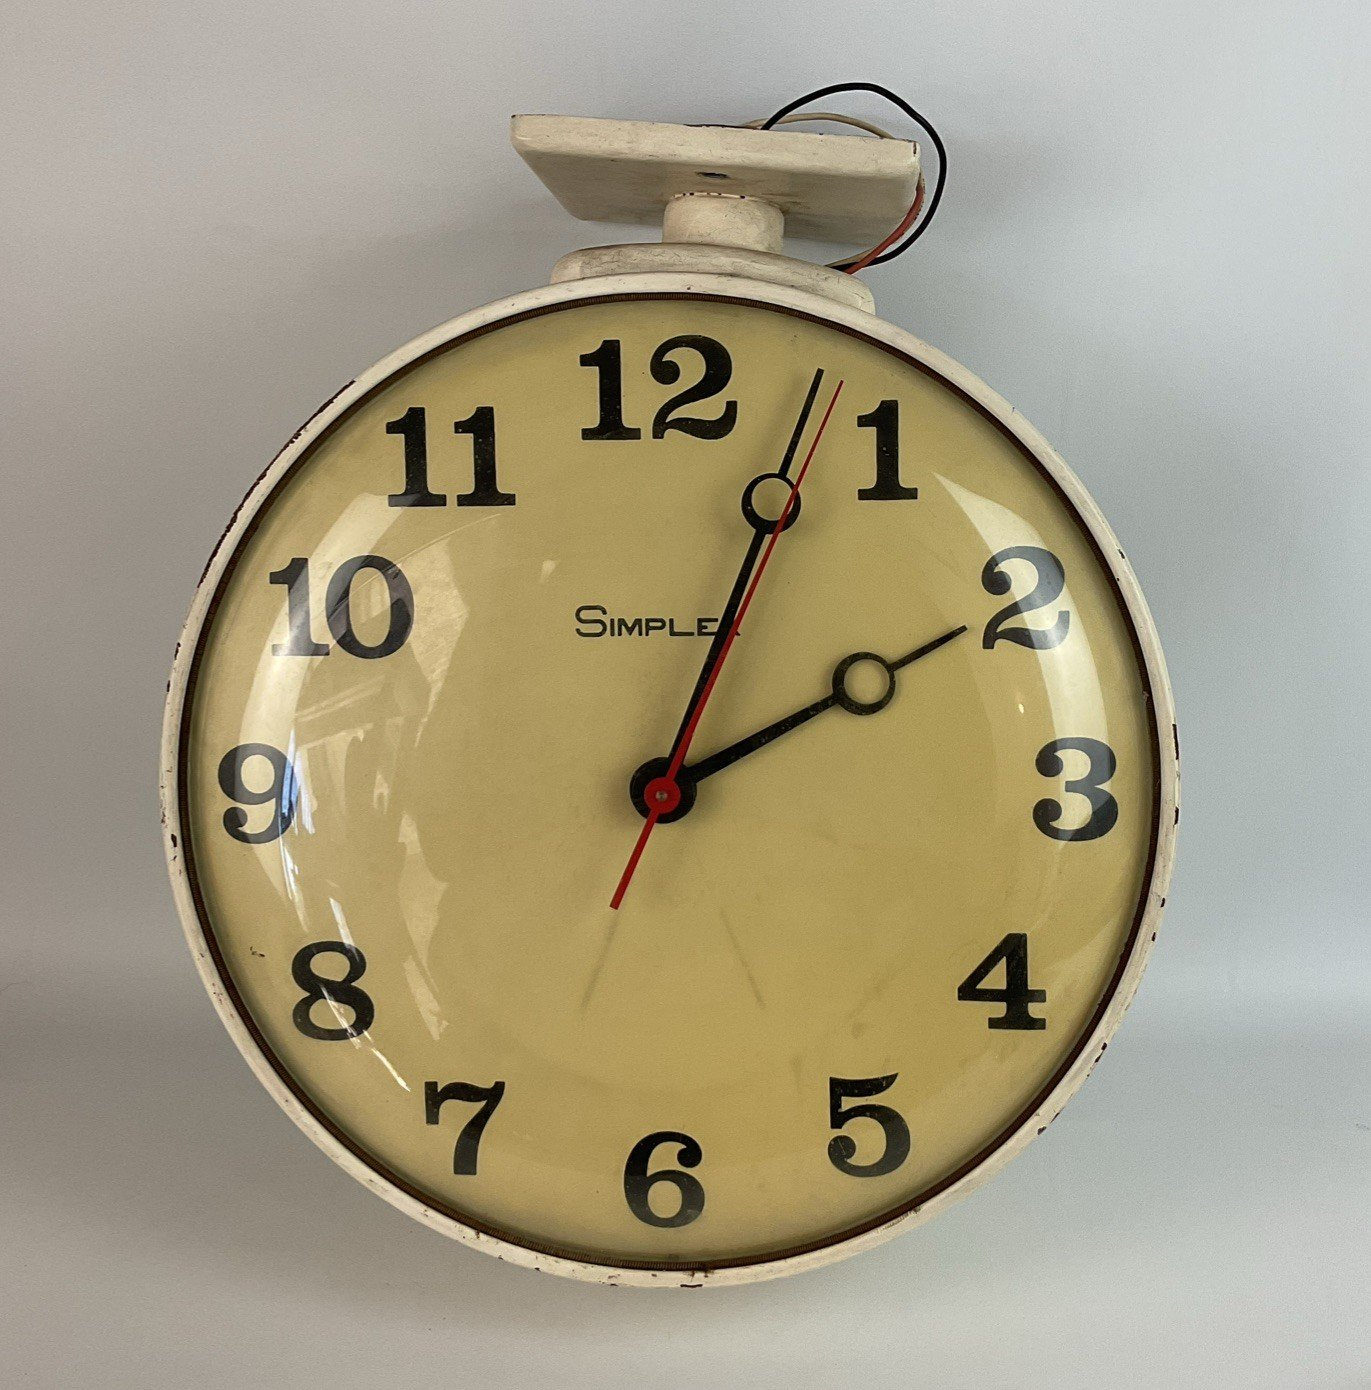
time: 2:03
